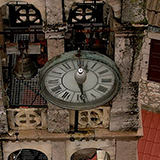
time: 12:28
